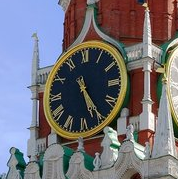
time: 5:24
